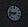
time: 8:47
